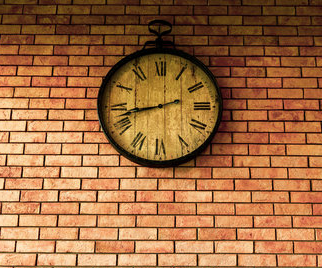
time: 8:42
